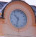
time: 10:32
